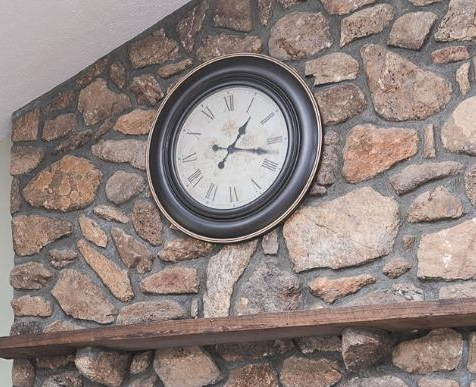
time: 1:17
